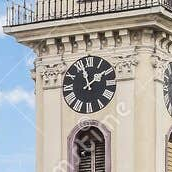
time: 1:56
